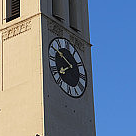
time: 7:50
